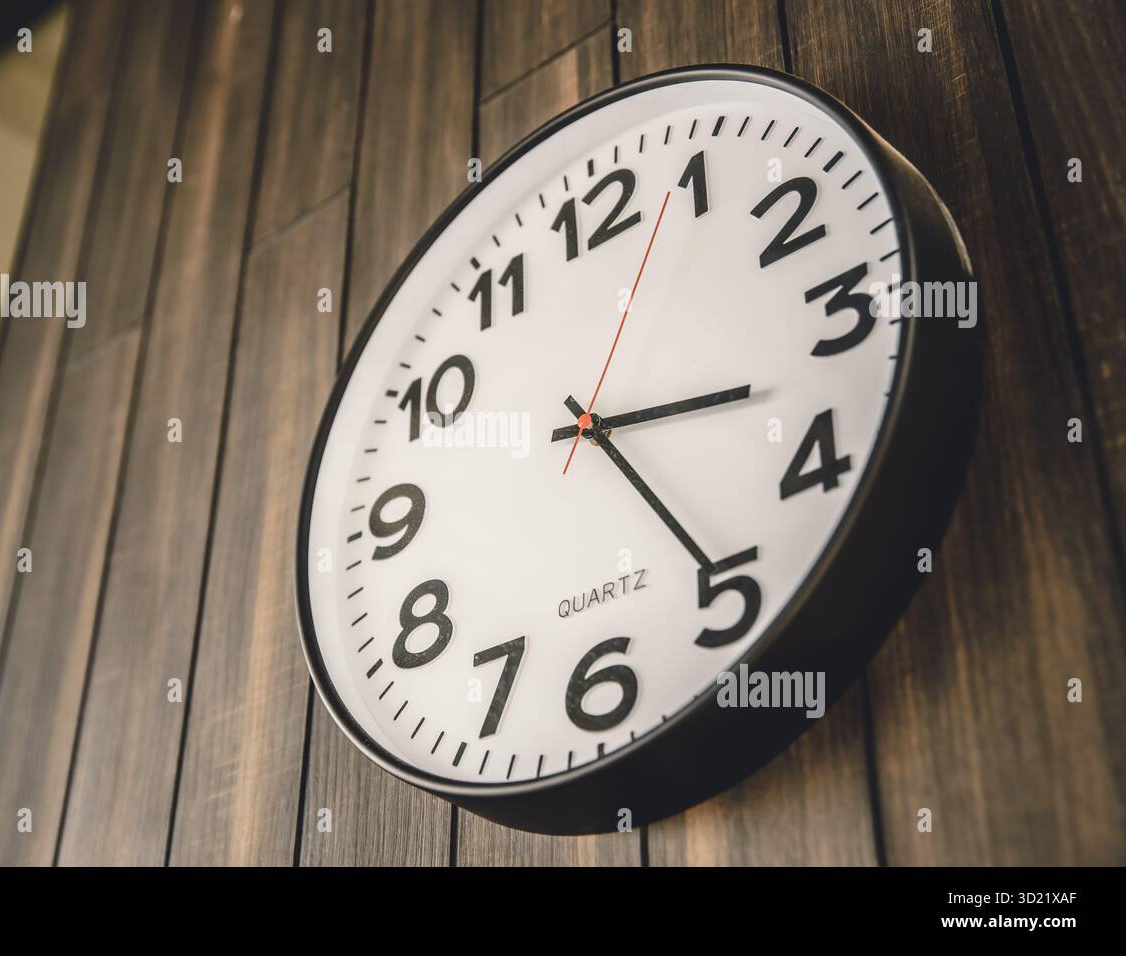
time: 3:24
